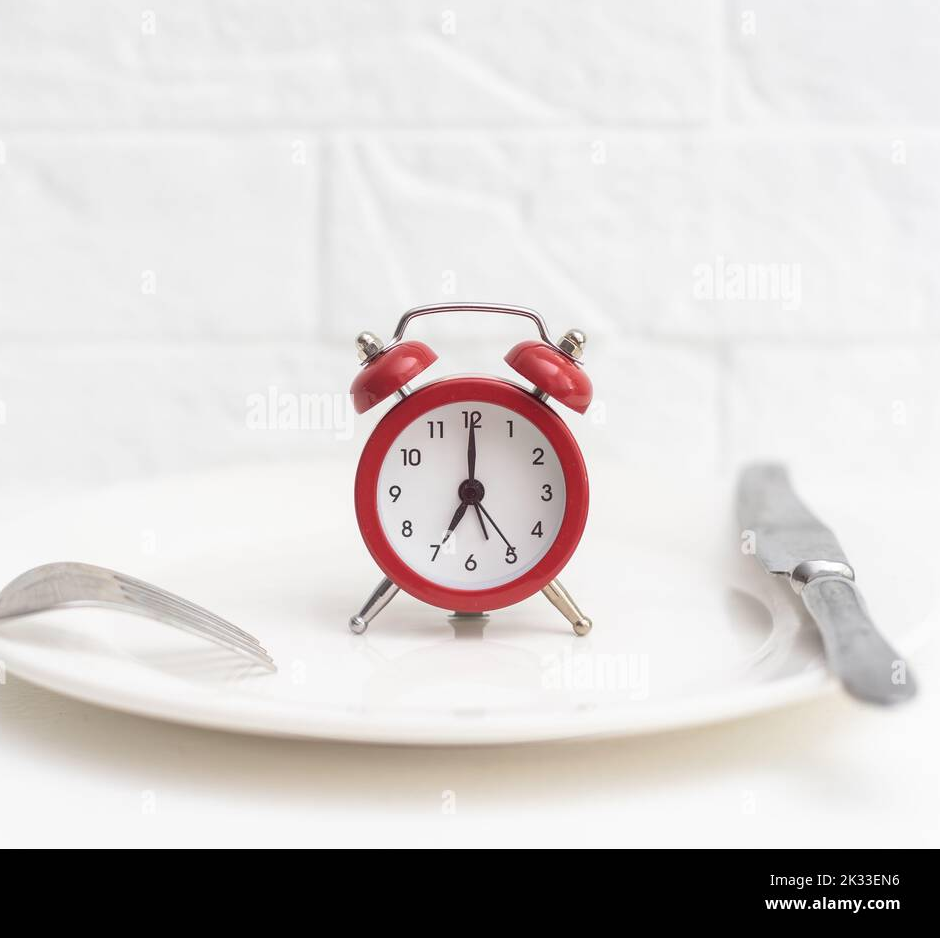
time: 7:00
